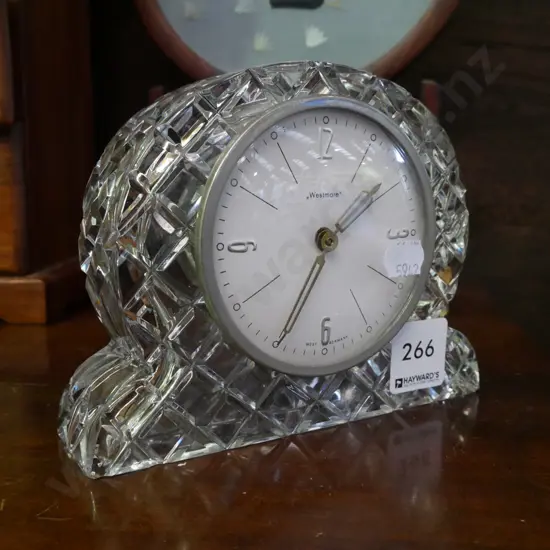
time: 1:34
